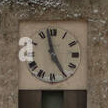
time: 4:57
